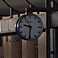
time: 9:31
